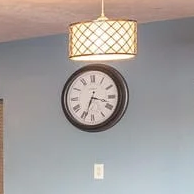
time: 3:33
